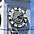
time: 2:18
